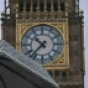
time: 10:37
